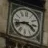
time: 3:42
